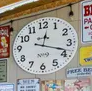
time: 12:18
